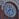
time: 11:37
